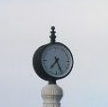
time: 7:25
